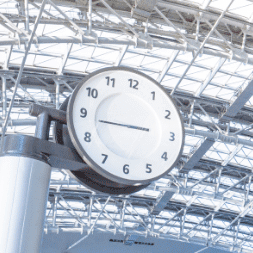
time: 2:44
